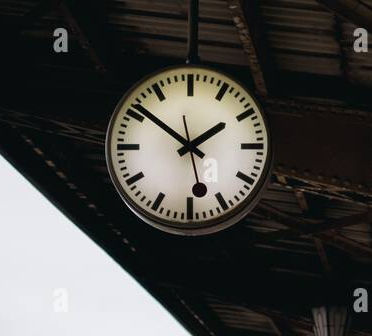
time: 1:51
